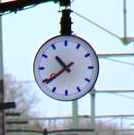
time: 10:39
